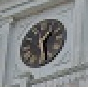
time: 1:28
